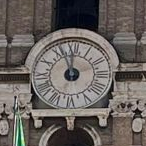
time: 11:56
